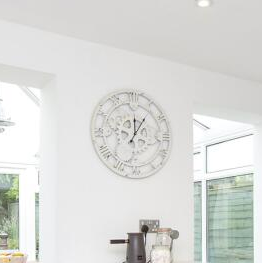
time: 12:06
